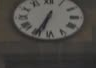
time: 6:34
